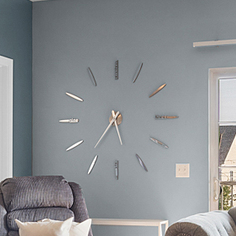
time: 5:36
